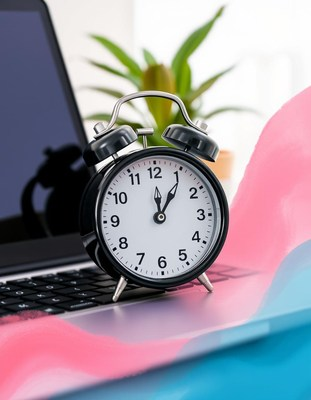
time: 12:05
